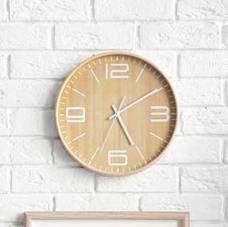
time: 5:09
